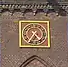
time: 4:35
